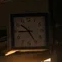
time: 10:25
